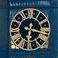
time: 6:17
